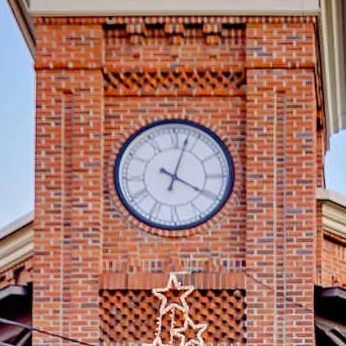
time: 4:02
